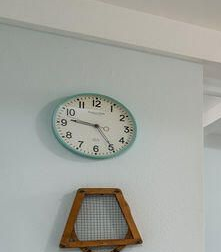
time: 9:24
